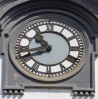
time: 10:41
